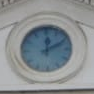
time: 12:10
